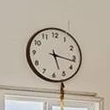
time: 5:16
